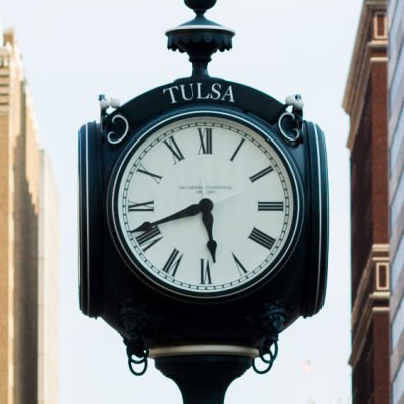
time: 5:41
